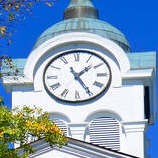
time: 1:24
